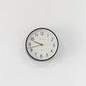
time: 9:42
